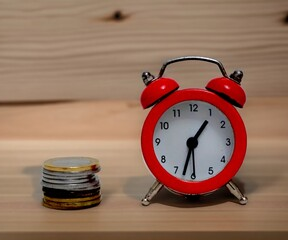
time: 1:32
